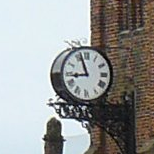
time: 8:56
